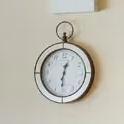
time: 12:31
